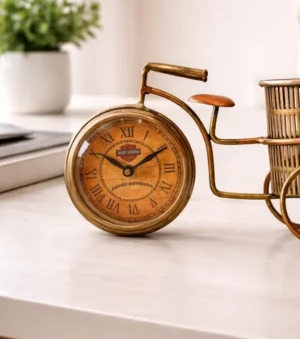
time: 10:10
